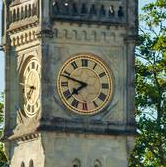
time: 7:48
